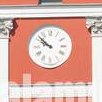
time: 9:51
